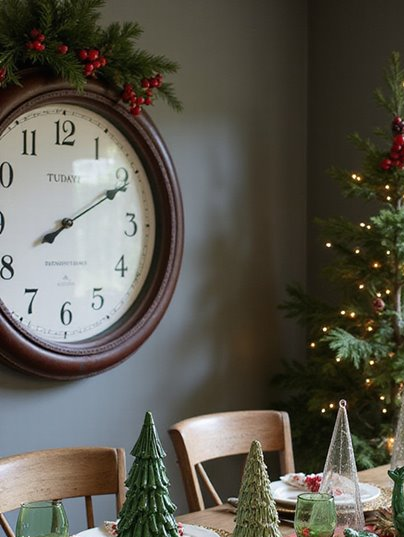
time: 8:10
